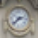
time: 2:37
